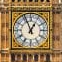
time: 12:56
